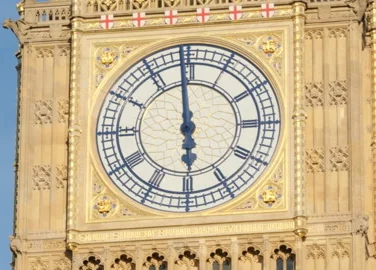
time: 5:58
